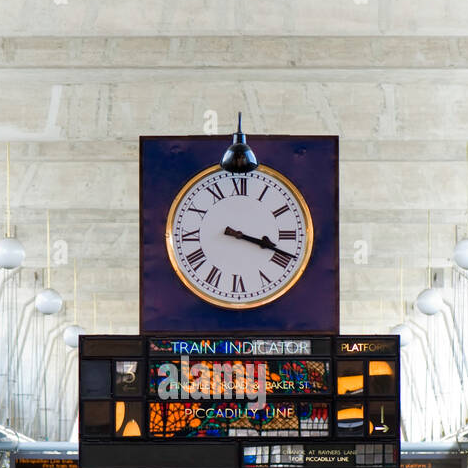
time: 3:18
